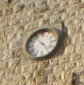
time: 4:23
